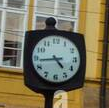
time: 4:43
